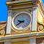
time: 9:39
